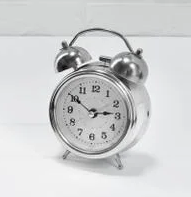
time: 2:50
